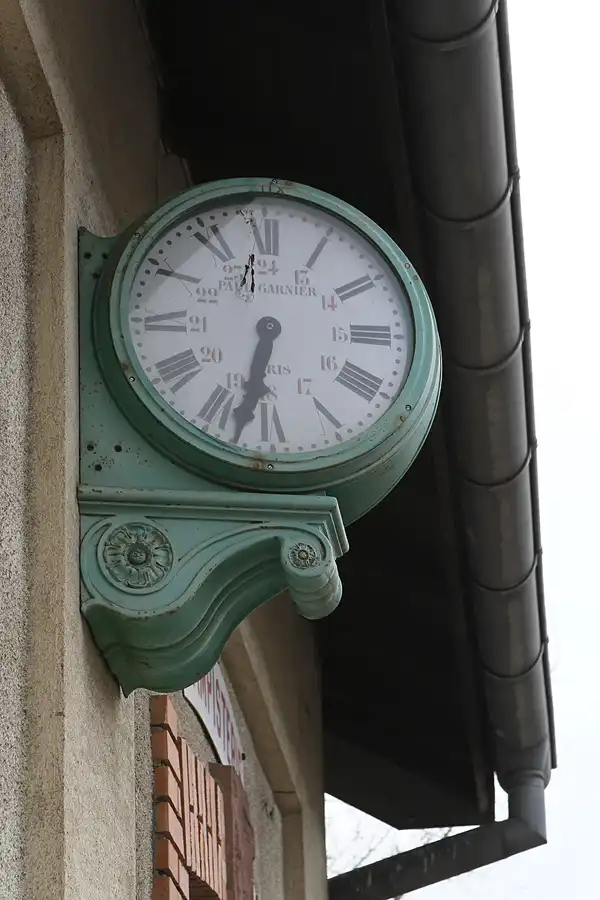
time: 6:32
